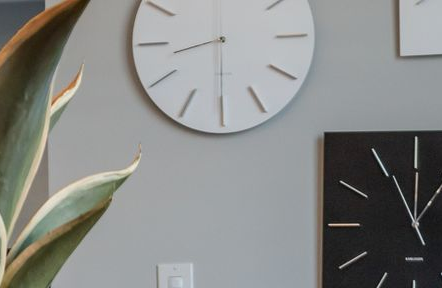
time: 8:29
